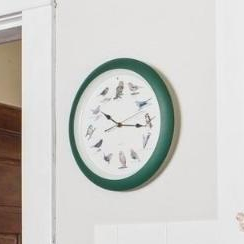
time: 10:16
